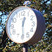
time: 12:29
